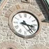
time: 3:23
